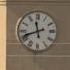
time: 11:41
